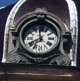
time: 7:58
